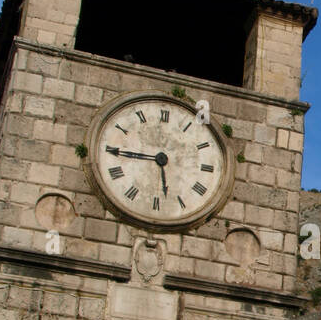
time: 5:44
